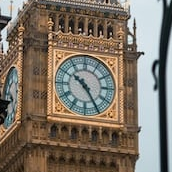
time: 10:24
